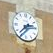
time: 2:38
